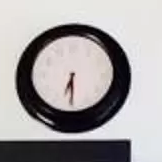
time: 6:29
